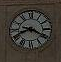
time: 8:19
